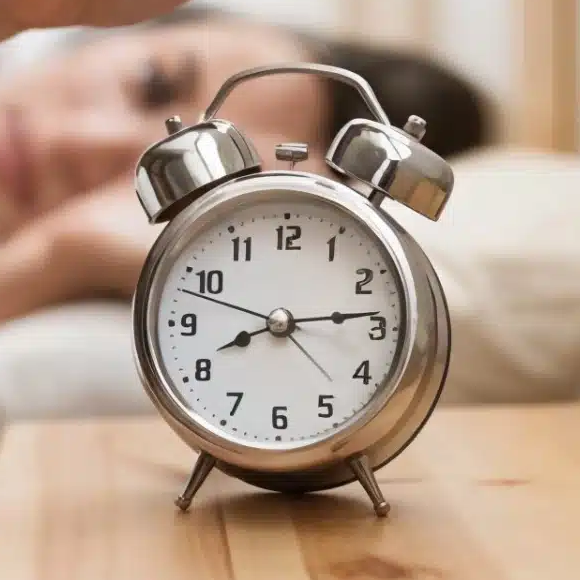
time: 8:13
